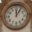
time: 12:05
